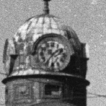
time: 1:36
